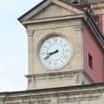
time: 8:40
